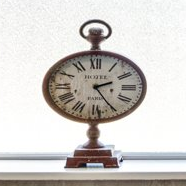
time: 2:24
